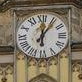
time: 12:06
